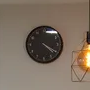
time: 4:20
